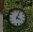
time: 4:04
